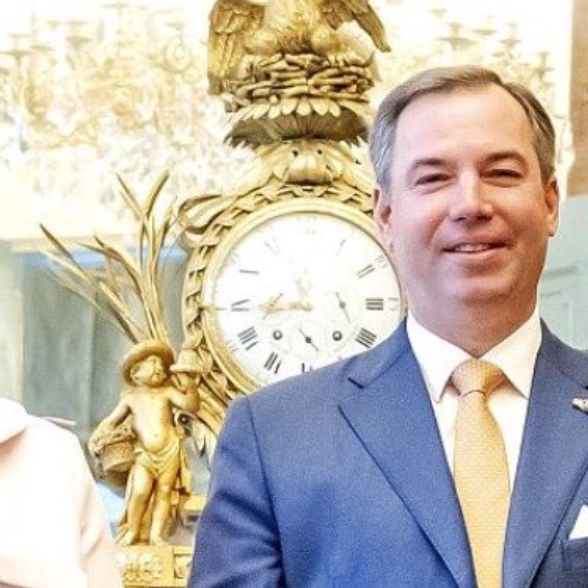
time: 11:42
